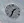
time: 1:33
